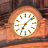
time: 7:08
